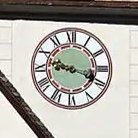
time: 9:18
